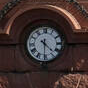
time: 4:30
